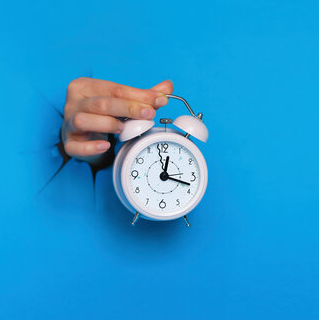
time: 12:17
